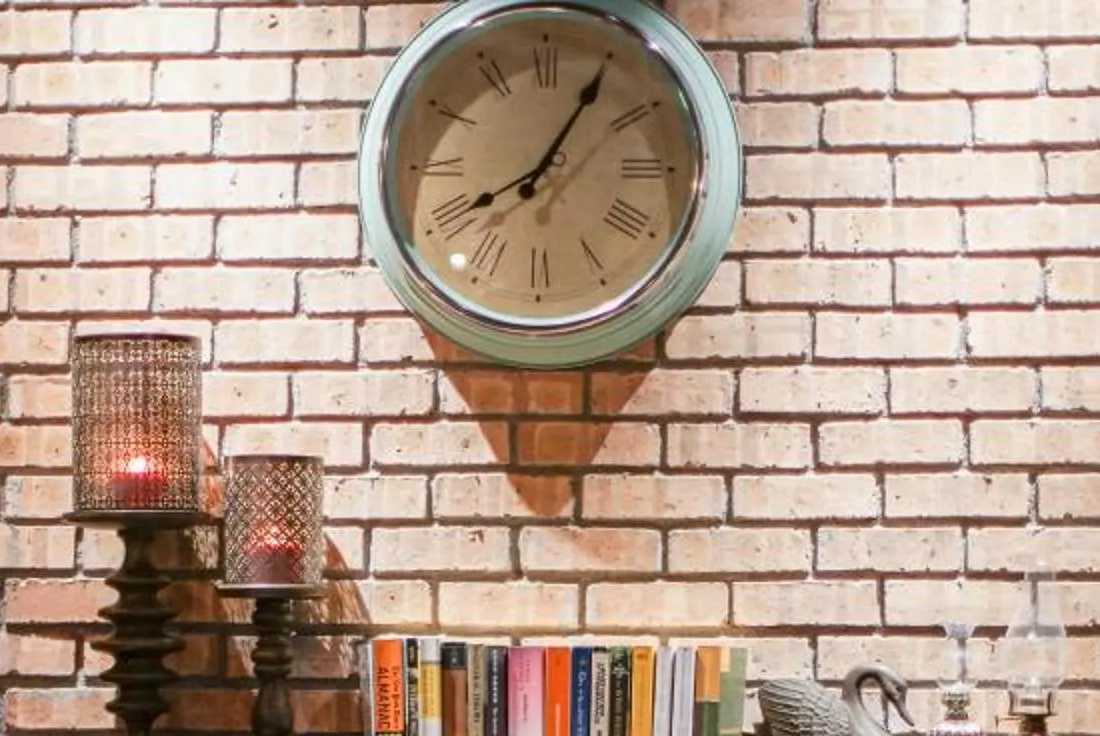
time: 8:05
